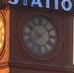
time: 7:50
